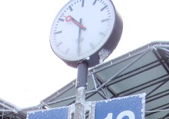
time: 10:30
